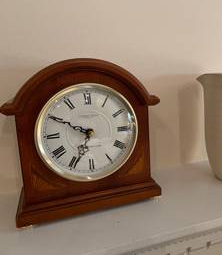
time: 6:49
